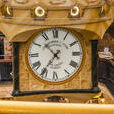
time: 10:36
